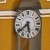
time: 5:38
